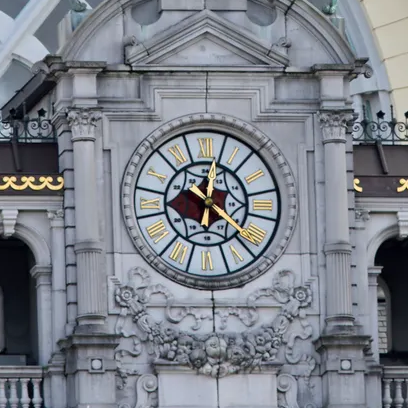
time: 2:02
